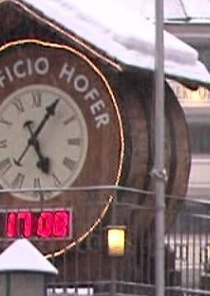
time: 5:05
